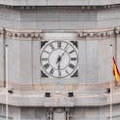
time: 6:06
